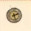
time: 2:26
